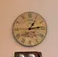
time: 1:13
